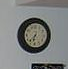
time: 7:32
